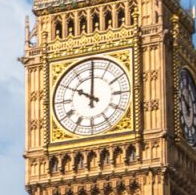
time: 10:00
